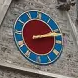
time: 2:12
